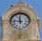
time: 11:46
